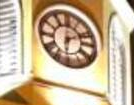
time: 6:11
